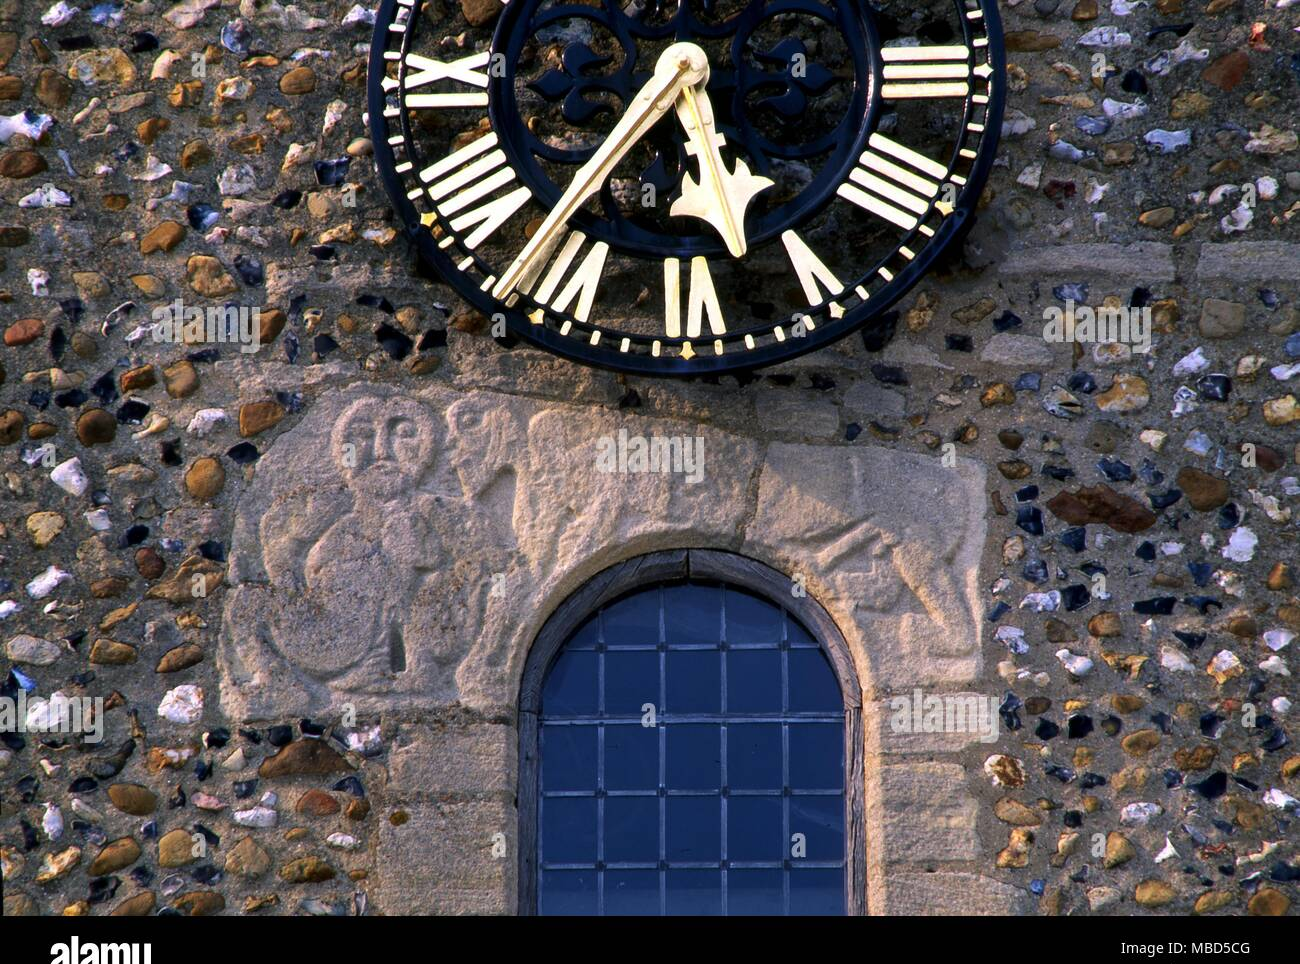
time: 5:36
